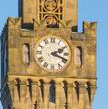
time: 2:18
